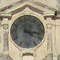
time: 4:16
